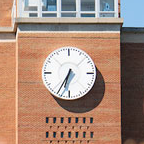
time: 6:35
